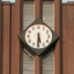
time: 5:30
